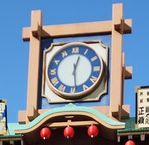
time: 12:28
